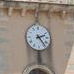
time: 2:23
